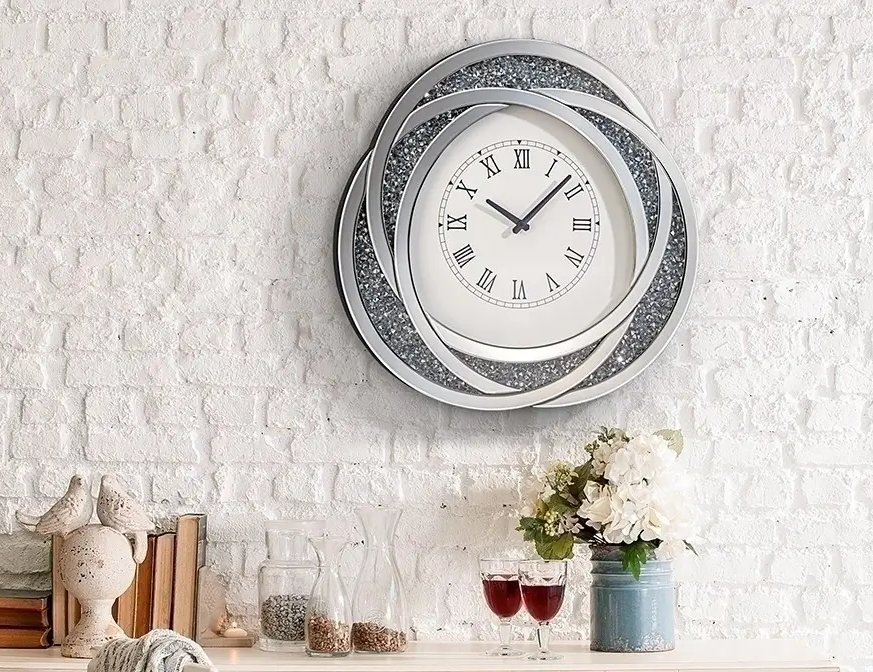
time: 10:07
